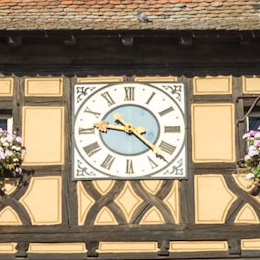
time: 9:22
